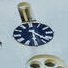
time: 6:21
